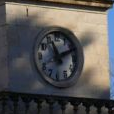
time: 11:10
